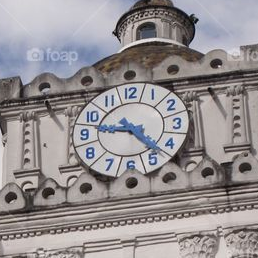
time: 9:23
